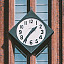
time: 1:36
